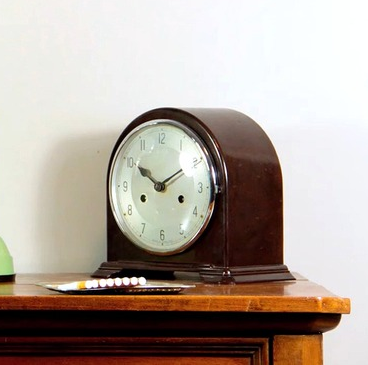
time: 1:50
